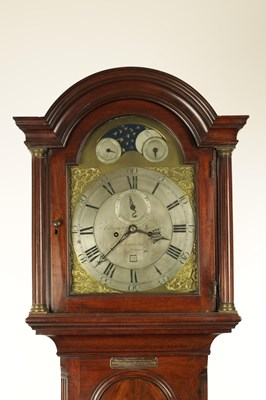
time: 3:37
